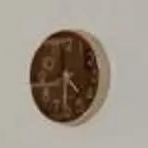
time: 4:29
